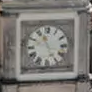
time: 11:25
